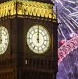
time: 12:00
